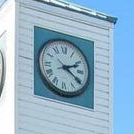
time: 2:20
